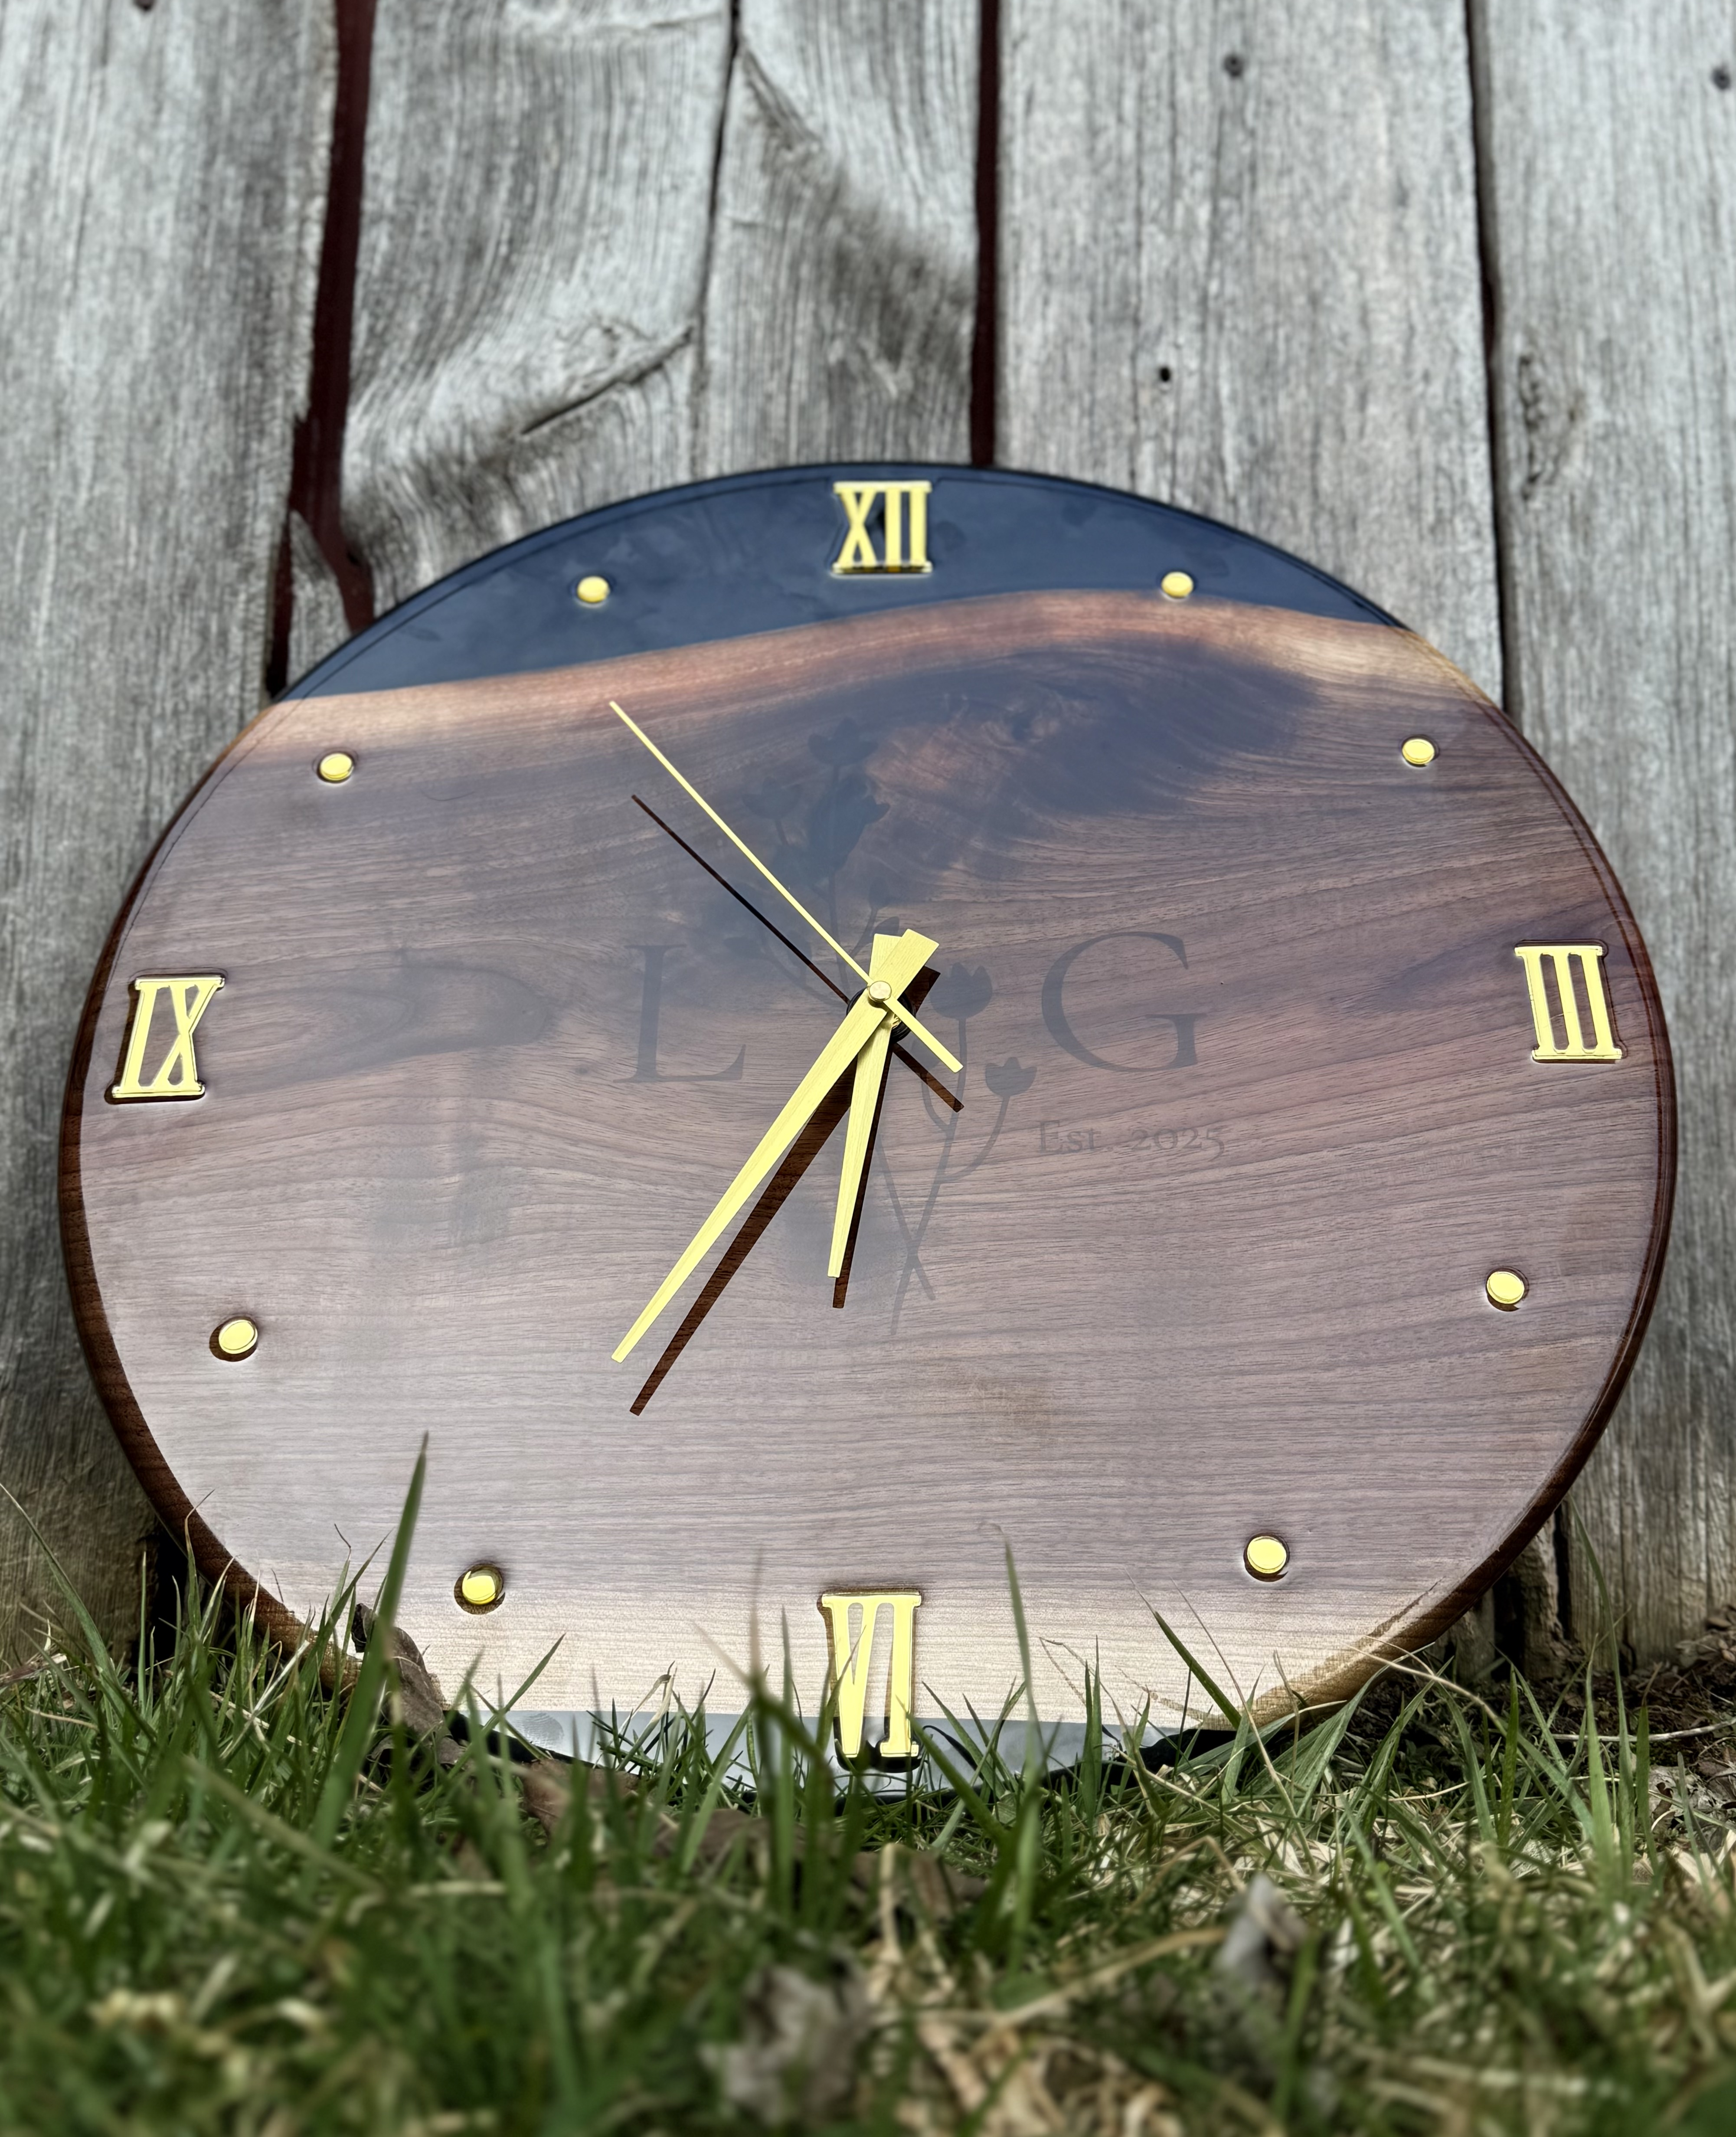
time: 6:53
